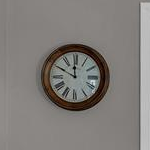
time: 11:49
